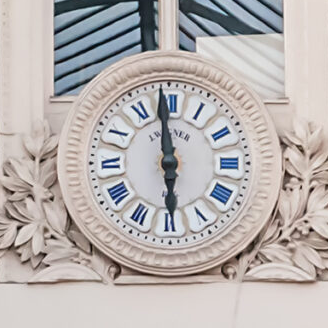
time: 5:58
